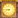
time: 8:45
